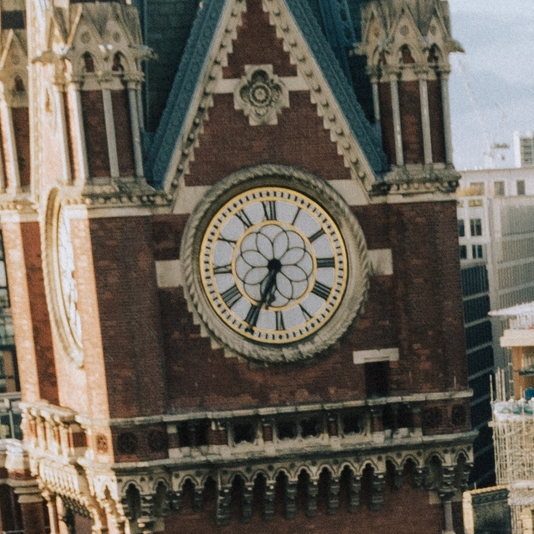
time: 6:34
